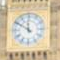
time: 11:50
